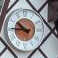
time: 10:45
